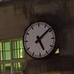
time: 5:08
